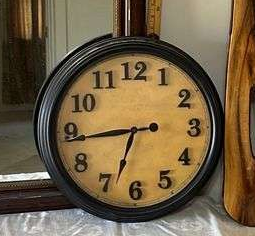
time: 6:43
